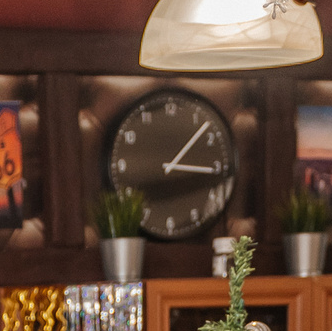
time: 3:07
